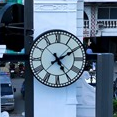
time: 5:09
